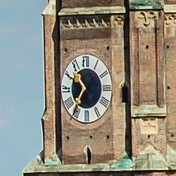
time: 10:36
